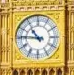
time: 10:45
